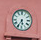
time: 5:35
